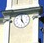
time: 4:59
